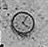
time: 4:04
